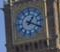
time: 1:18
